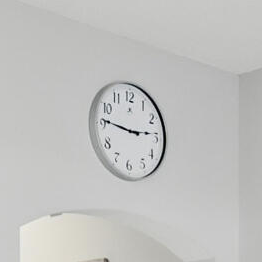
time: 2:46
